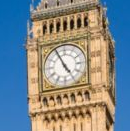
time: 4:55
